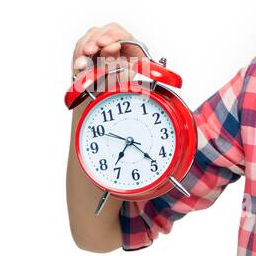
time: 7:23
